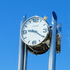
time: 9:20
